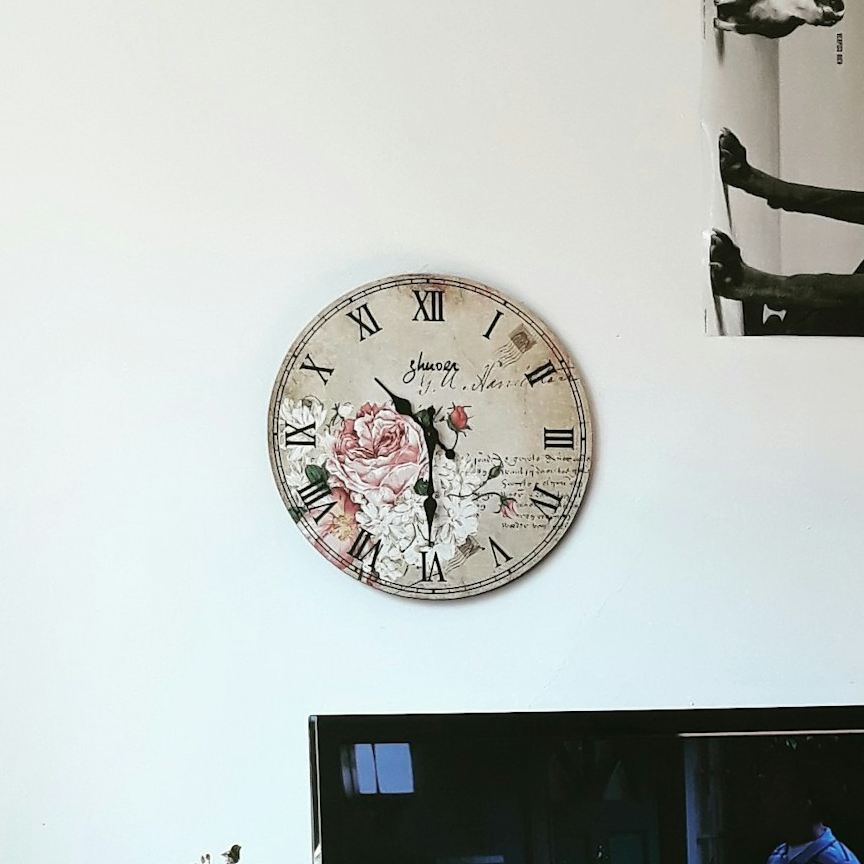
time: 10:30
